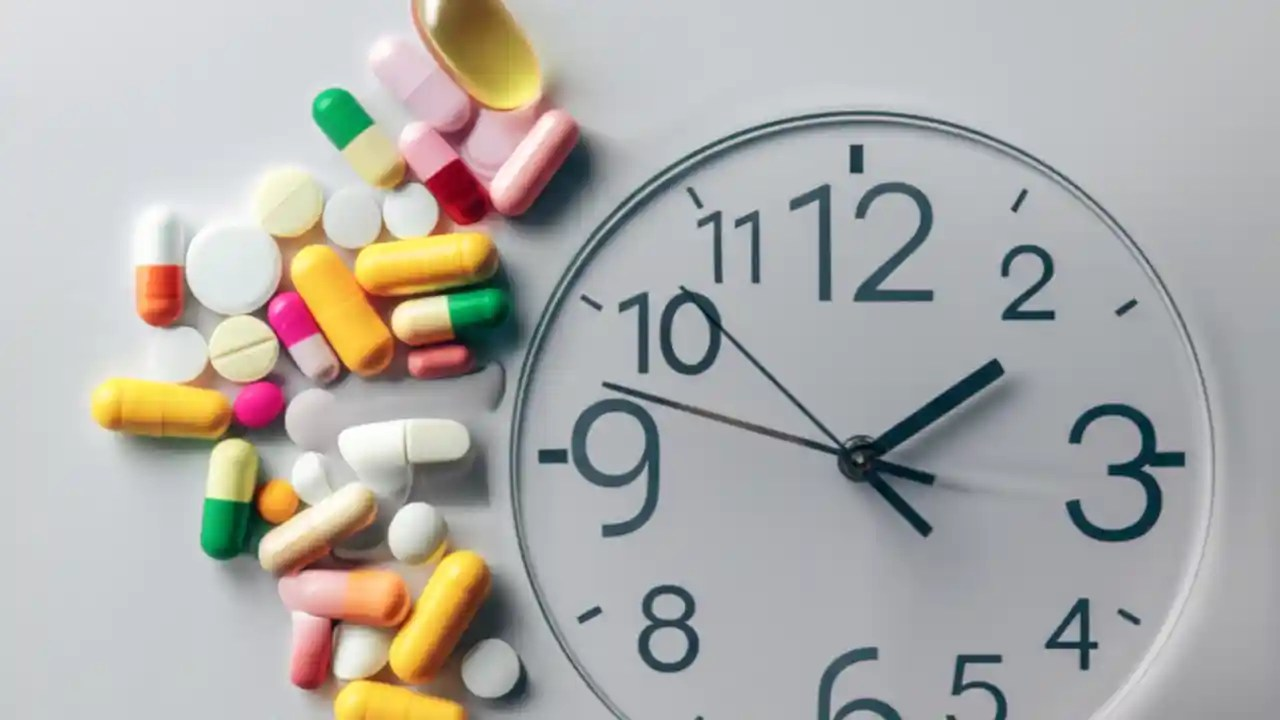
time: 1:47
